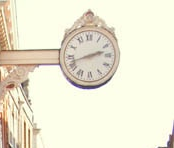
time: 2:42
